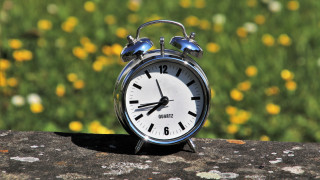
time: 7:43
